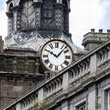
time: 10:07
